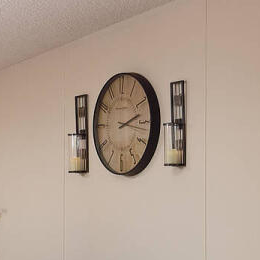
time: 2:12
